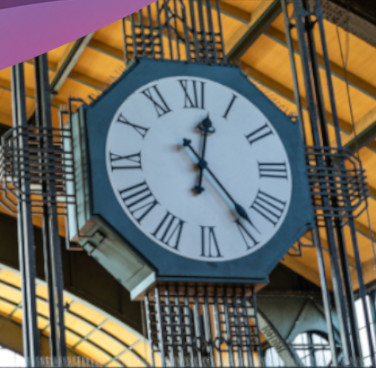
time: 12:23
